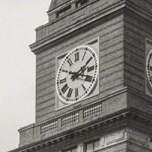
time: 2:18
